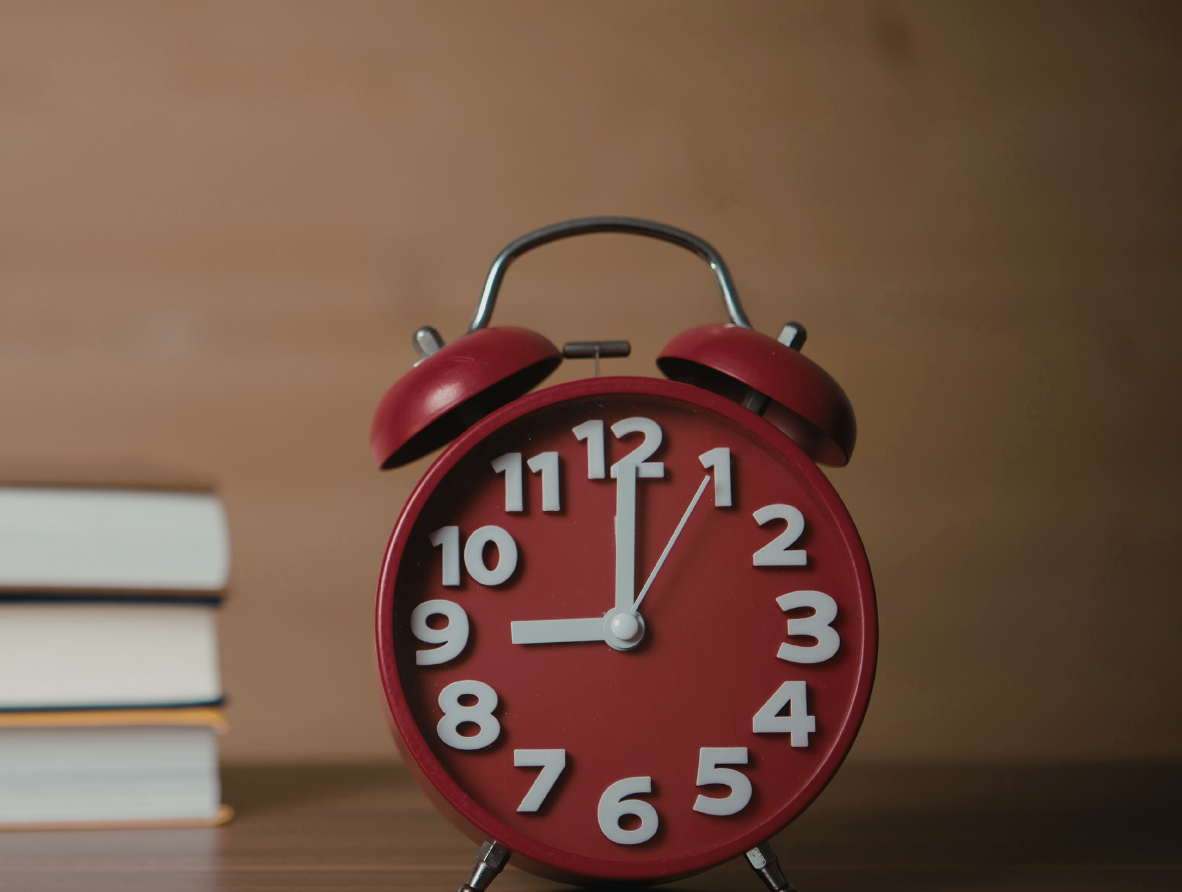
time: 9:00
